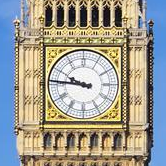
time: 9:45
